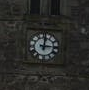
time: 3:01
